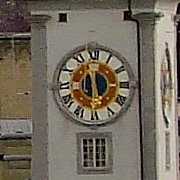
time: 5:30
